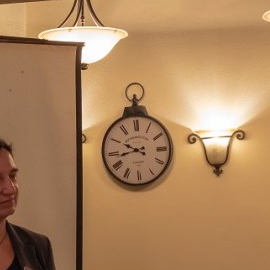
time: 9:43
